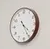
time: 4:25
